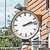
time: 2:12
